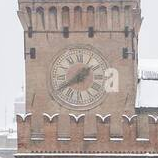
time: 1:40
